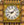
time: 9:07
